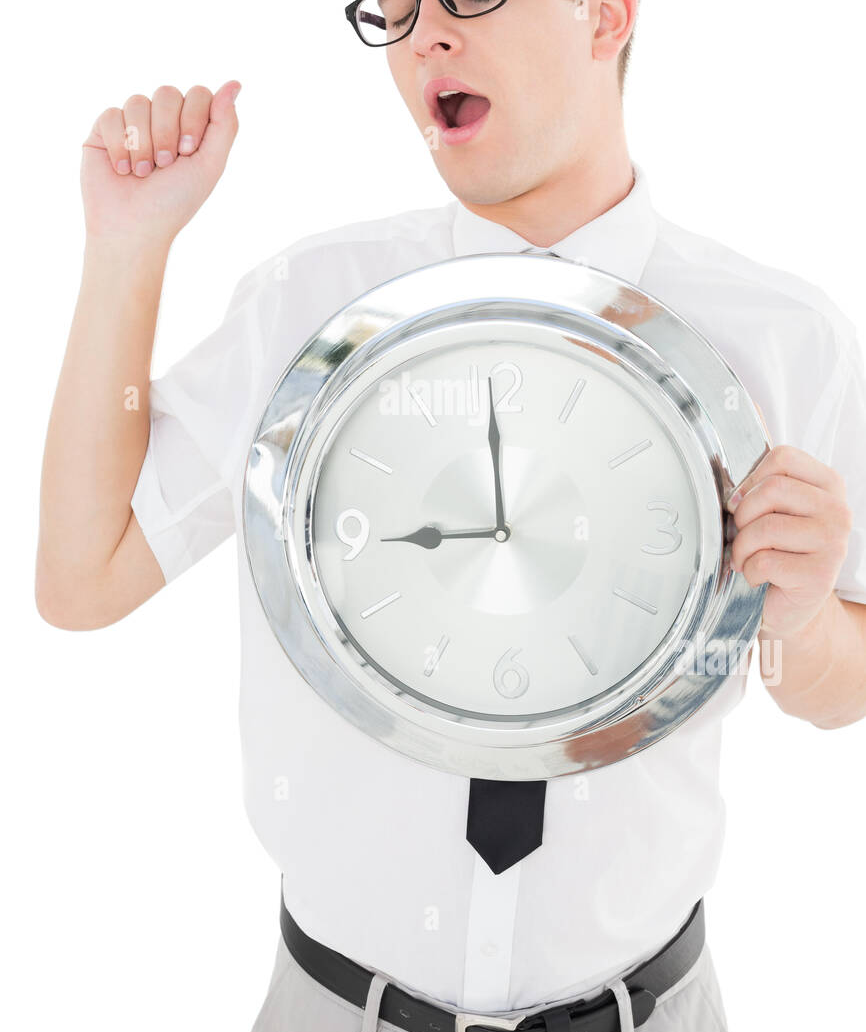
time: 8:59
